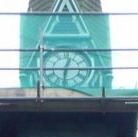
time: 12:31
